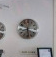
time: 12:28
